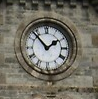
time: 1:53
